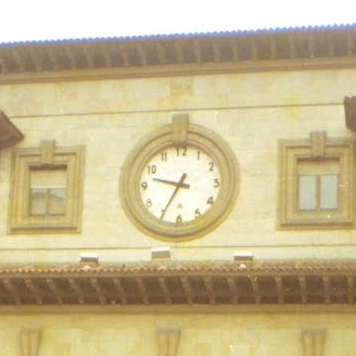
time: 9:34
